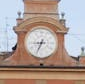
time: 8:34
